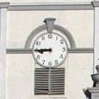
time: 8:45
